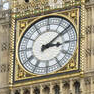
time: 3:09
